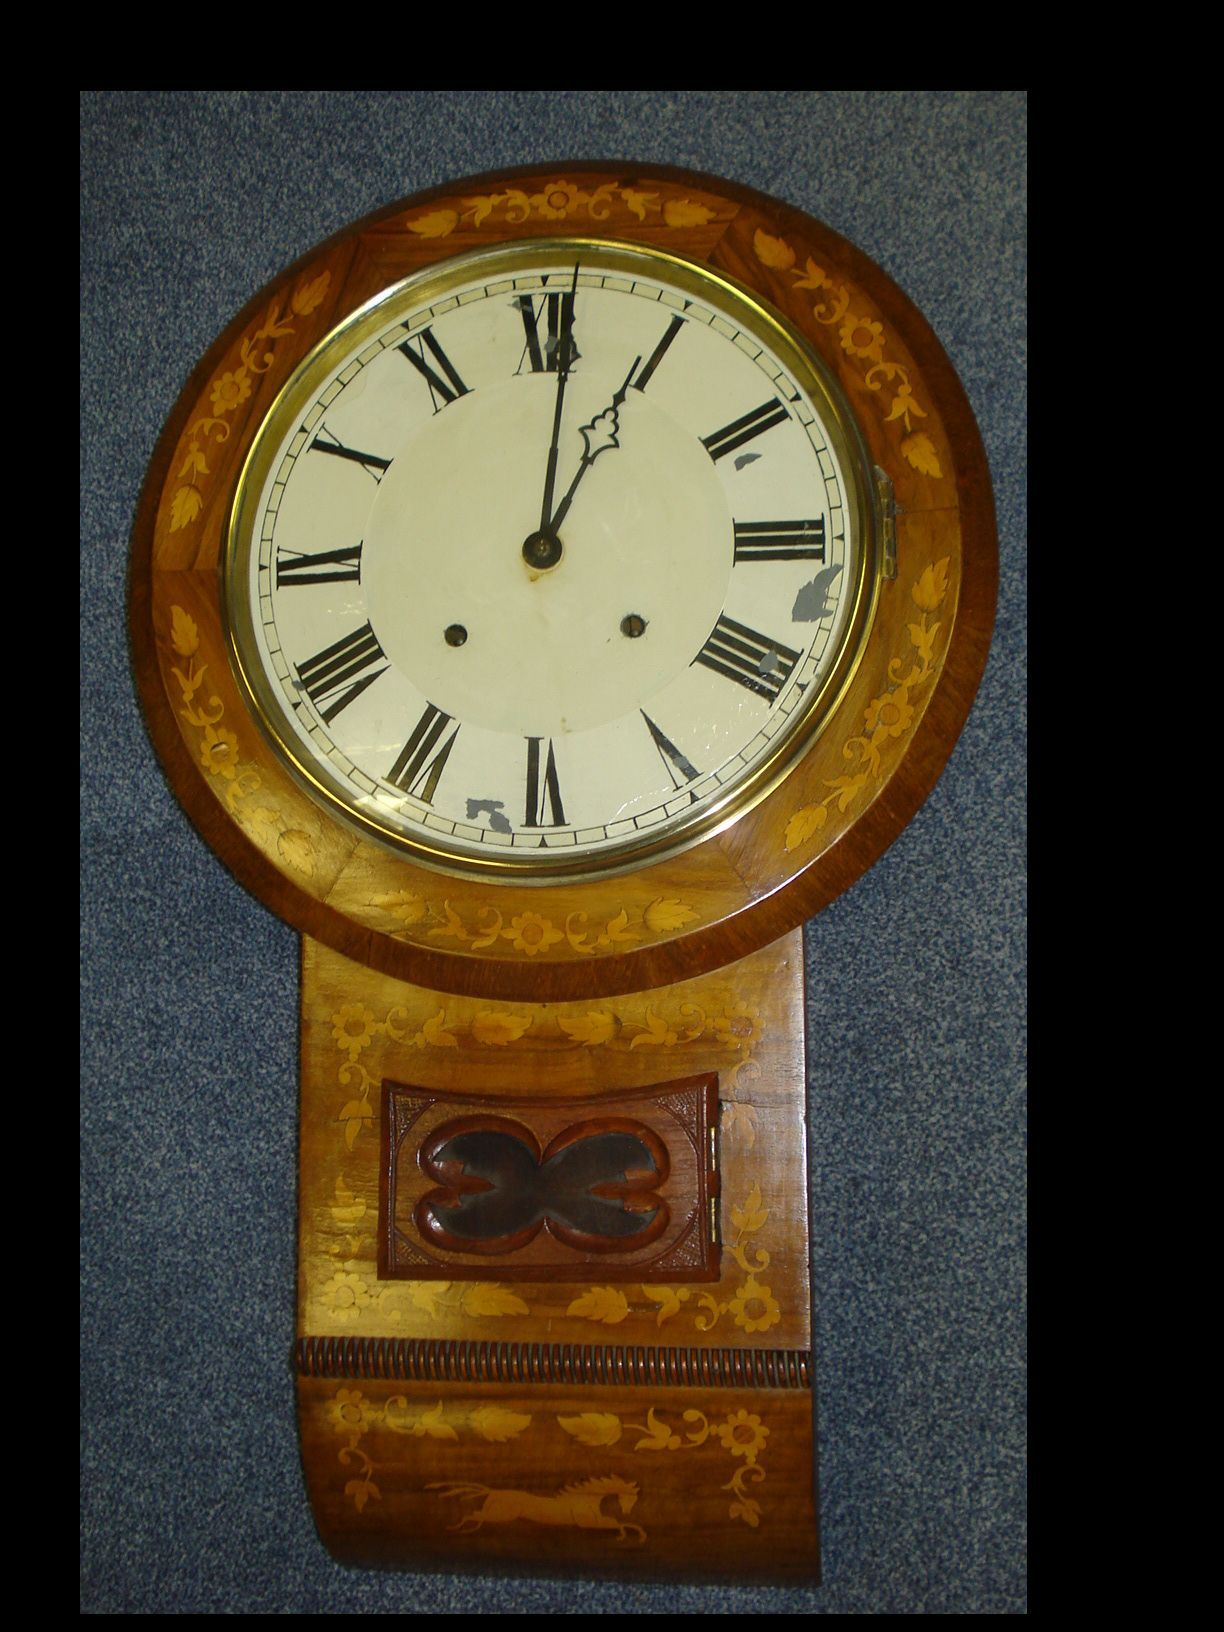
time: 1:01
